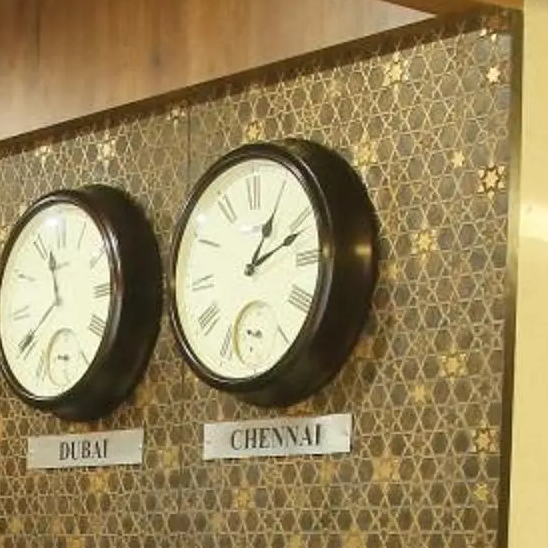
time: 1:11
